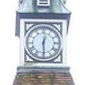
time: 12:29
